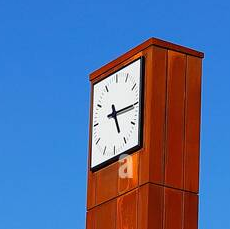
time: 5:15
